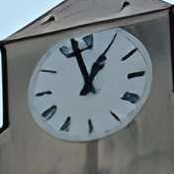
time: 12:57
